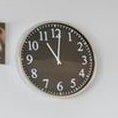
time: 11:01
